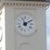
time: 11:09
